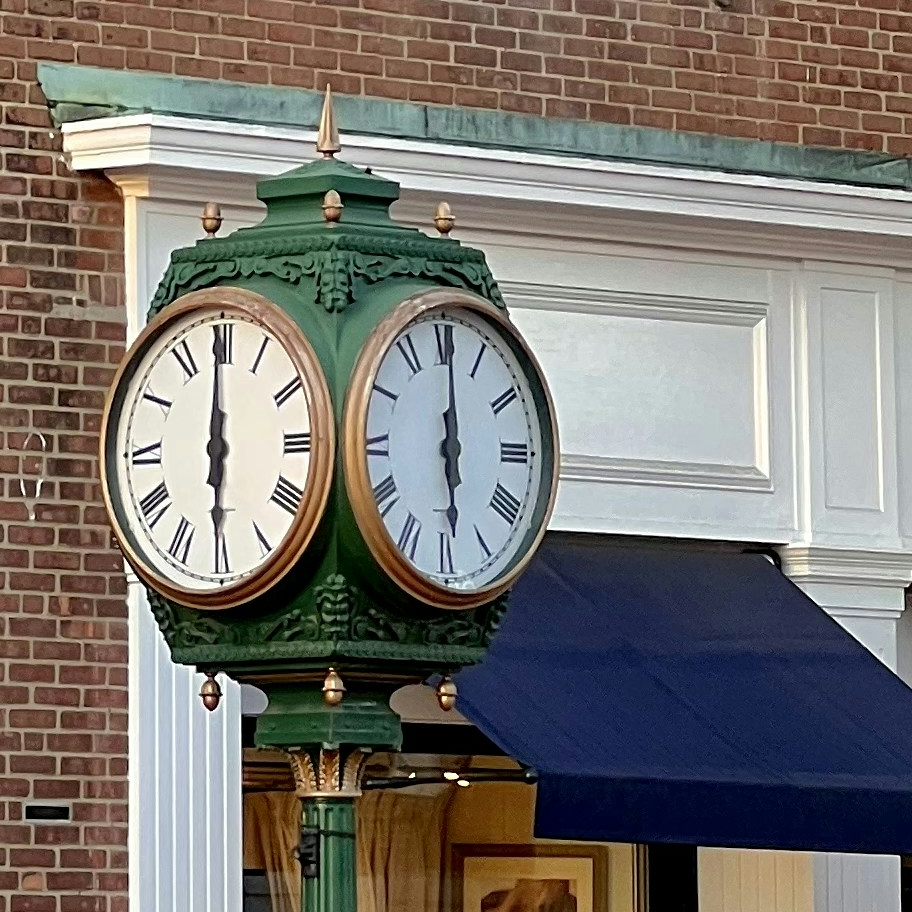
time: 6:00
